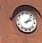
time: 2:06
